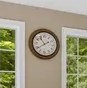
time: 10:39
